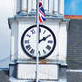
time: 2:00
